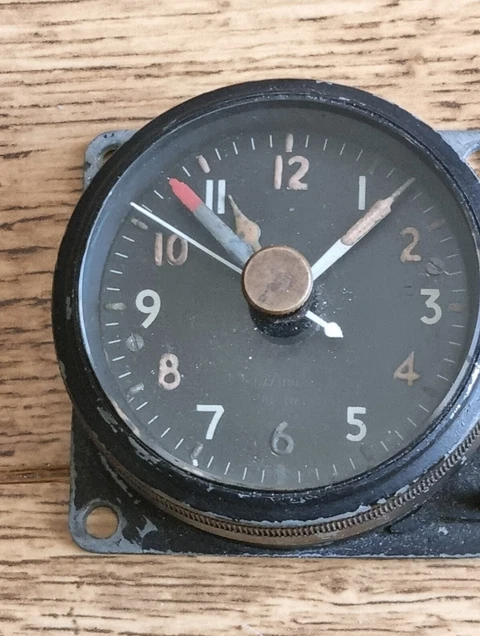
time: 11:07
